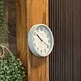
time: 10:19
